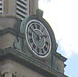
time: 1:49
